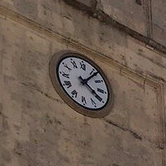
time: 4:06
